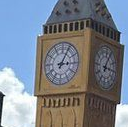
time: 3:04
